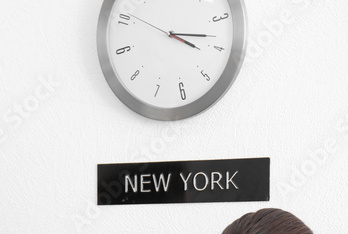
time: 3:13
